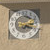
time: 2:18
